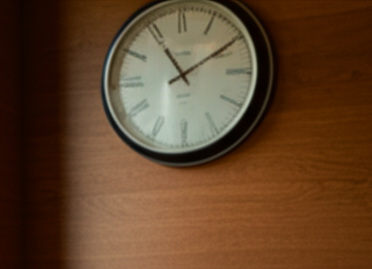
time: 11:09
